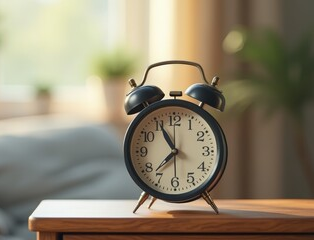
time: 7:55
